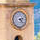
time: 2:23
